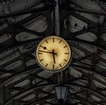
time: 5:46
